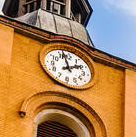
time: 1:57
